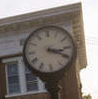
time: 3:19
